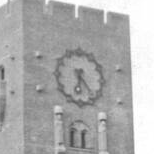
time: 6:23
